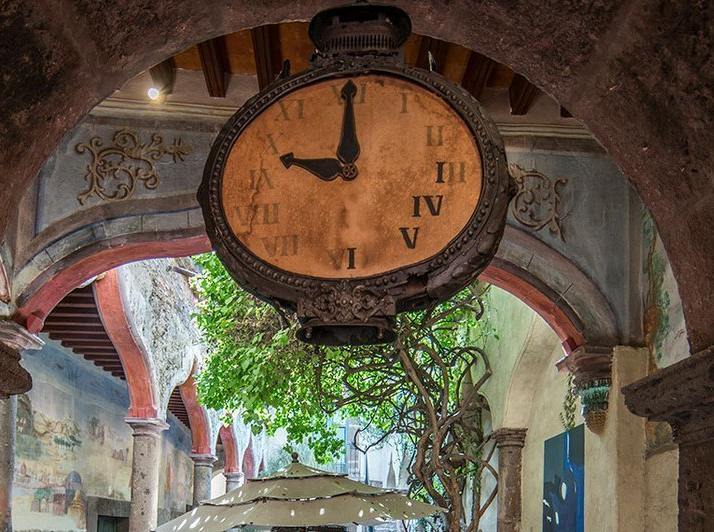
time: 10:00
